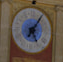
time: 5:05
